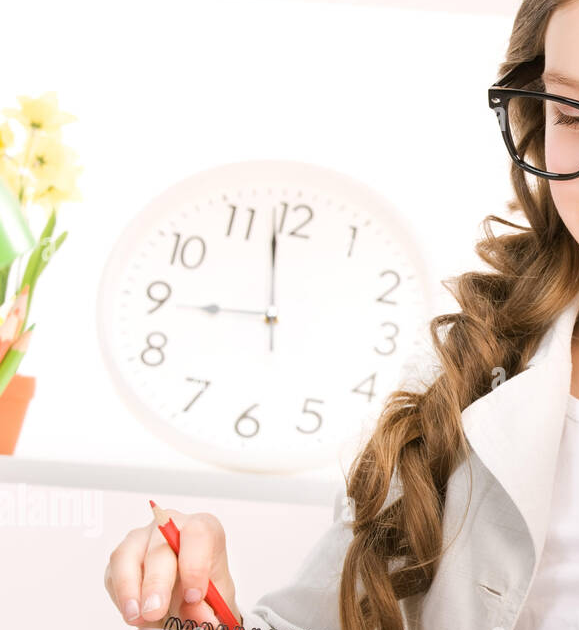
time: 8:58
